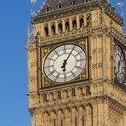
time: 6:05
